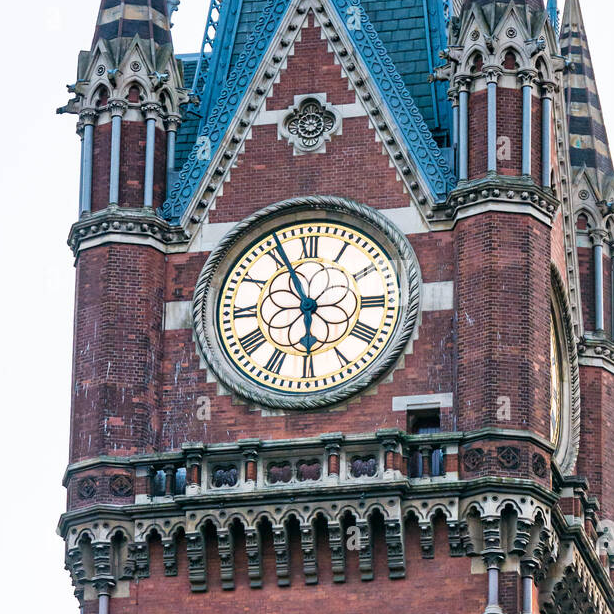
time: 5:55
